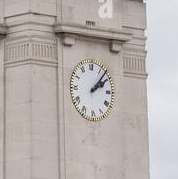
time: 2:07
